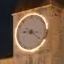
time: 9:21
